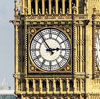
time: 2:54
